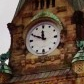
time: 11:49
